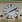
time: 2:09
